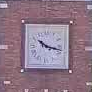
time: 10:17
